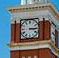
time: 3:14
